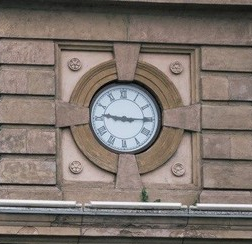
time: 9:15
